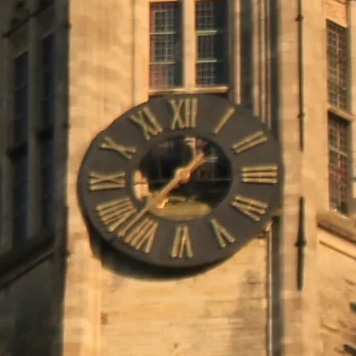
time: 1:37
